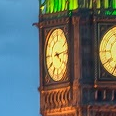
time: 4:13
